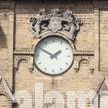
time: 1:50
